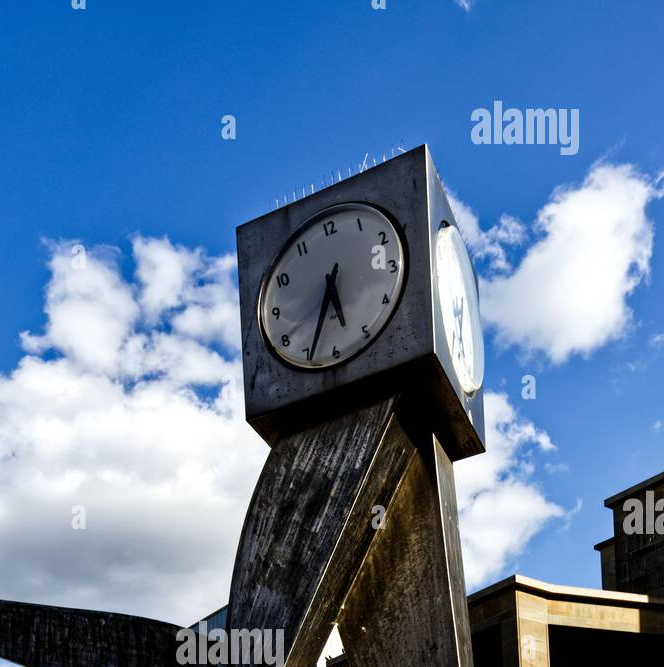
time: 5:33
